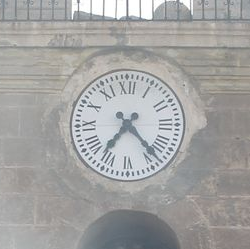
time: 7:23
